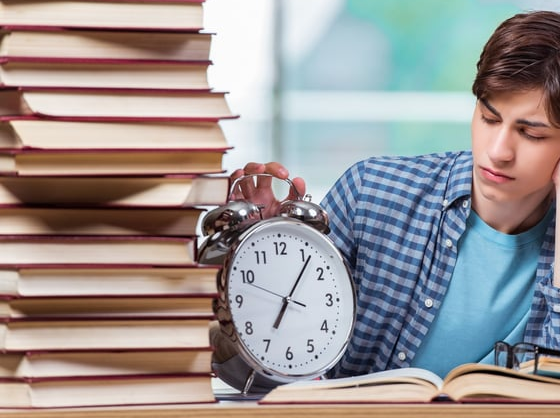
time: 7:06
